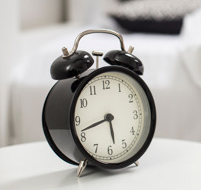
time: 5:42
